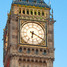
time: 6:19
